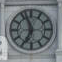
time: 6:56
